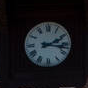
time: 2:16
